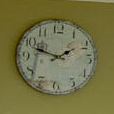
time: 1:48
